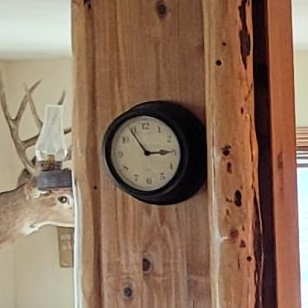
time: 2:54
